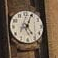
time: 5:04
